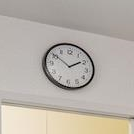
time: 1:50
